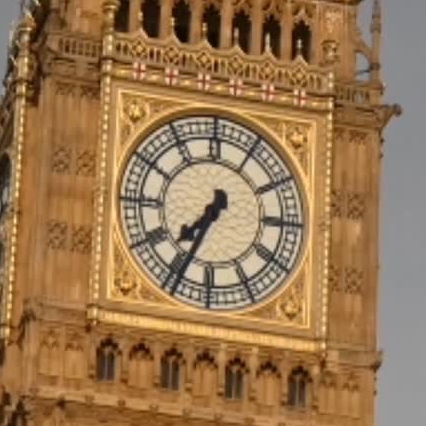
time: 7:34
